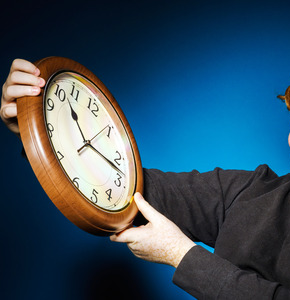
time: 11:18
